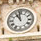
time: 10:58
